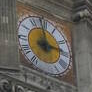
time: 2:58
